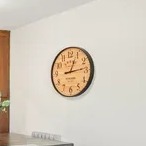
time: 1:13
